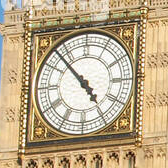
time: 4:52
